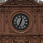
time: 12:34
